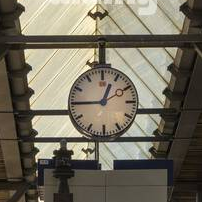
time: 12:45
